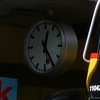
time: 12:24
